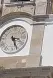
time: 3:26
